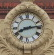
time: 8:13
